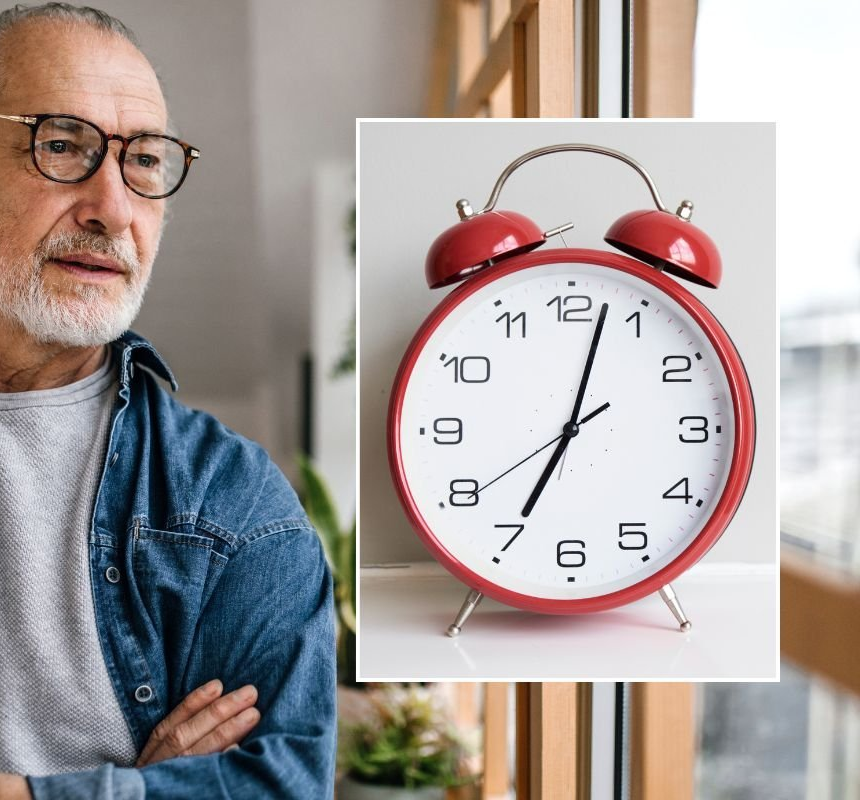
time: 7:02
